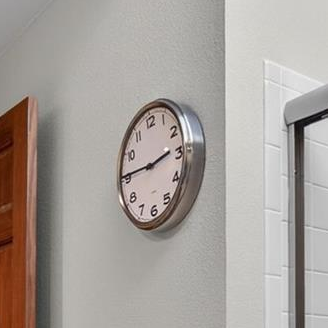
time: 2:45
